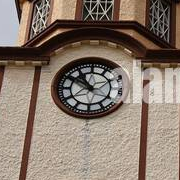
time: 10:50
